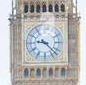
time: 9:22
